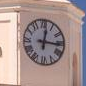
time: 12:15
